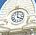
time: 4:01
